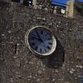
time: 10:47
